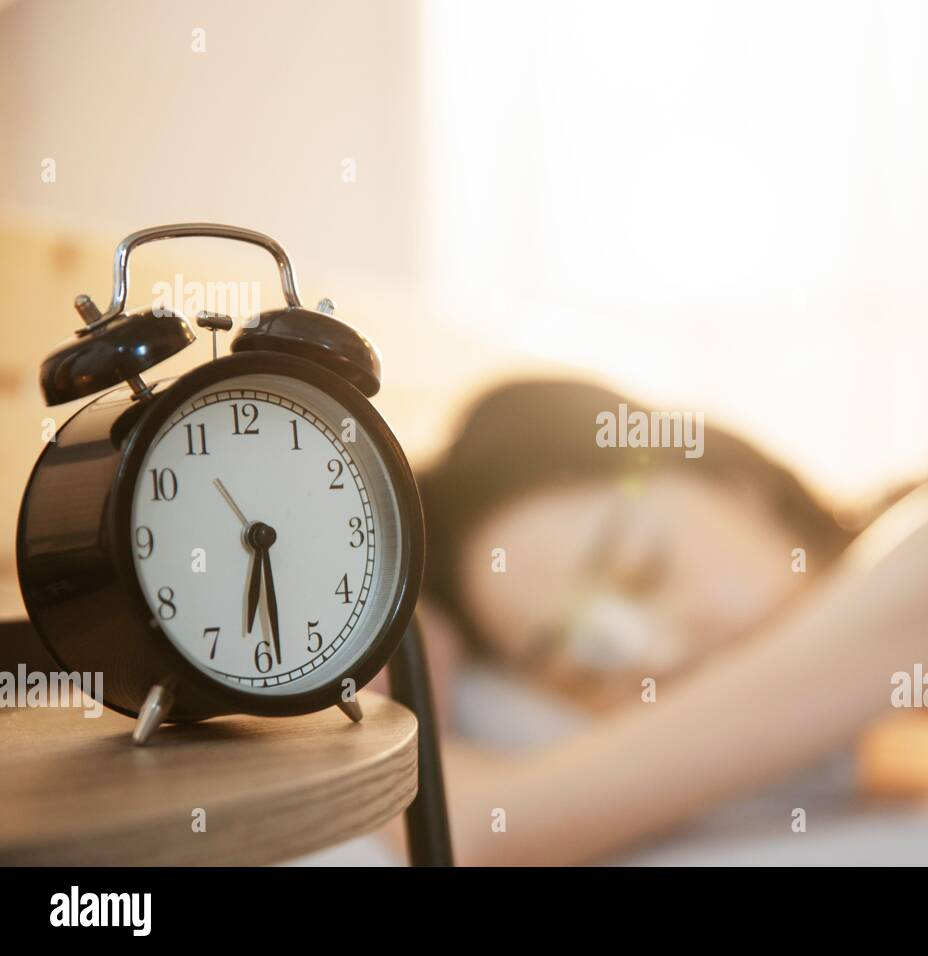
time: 6:28
